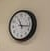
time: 11:16
